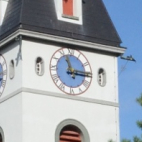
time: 11:15
